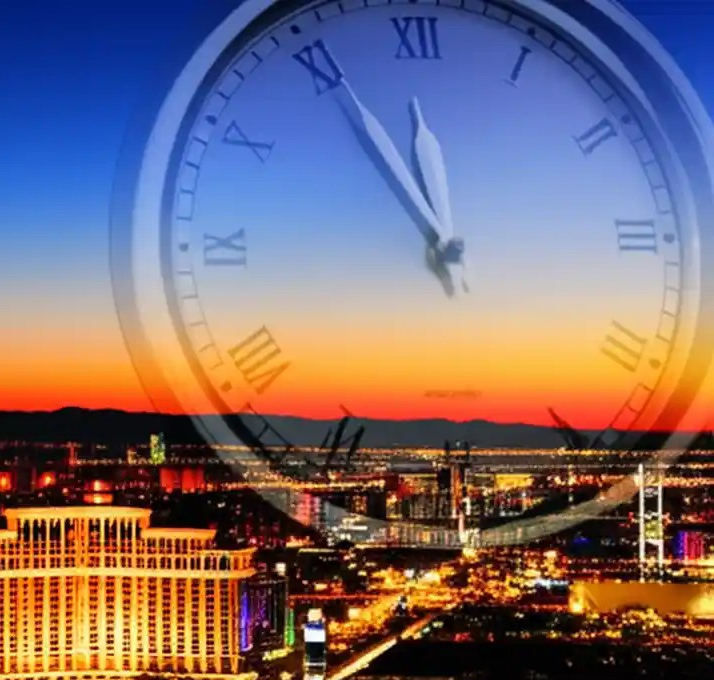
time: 11:55
